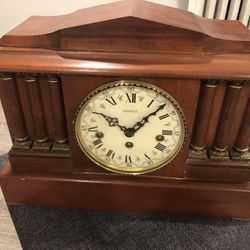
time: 10:07
